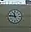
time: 11:46
